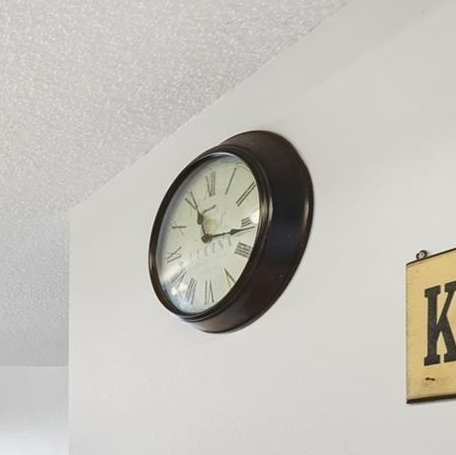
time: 11:16
